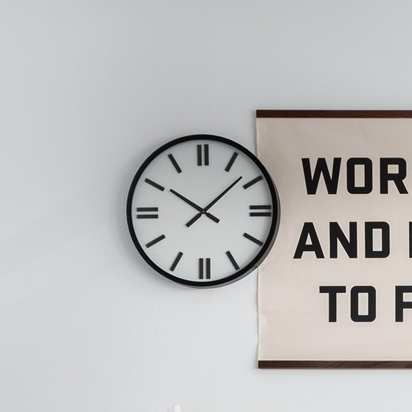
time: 10:07
